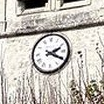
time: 2:19
